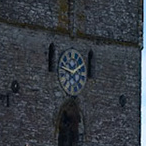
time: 1:46
